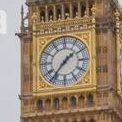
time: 1:36
